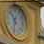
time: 10:32
